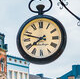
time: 7:47
